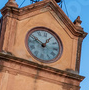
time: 12:49
